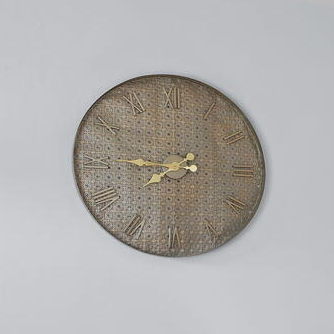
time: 7:45
